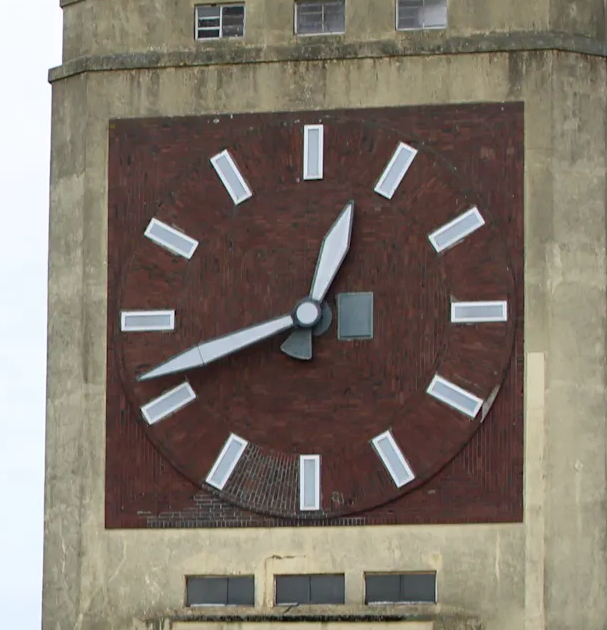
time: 12:41
